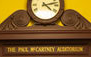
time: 4:12
